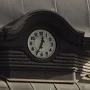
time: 12:34
